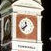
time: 11:37
